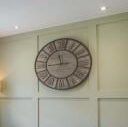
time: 11:44
